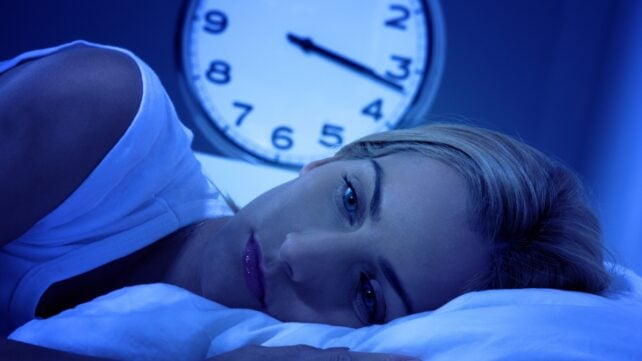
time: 3:17
